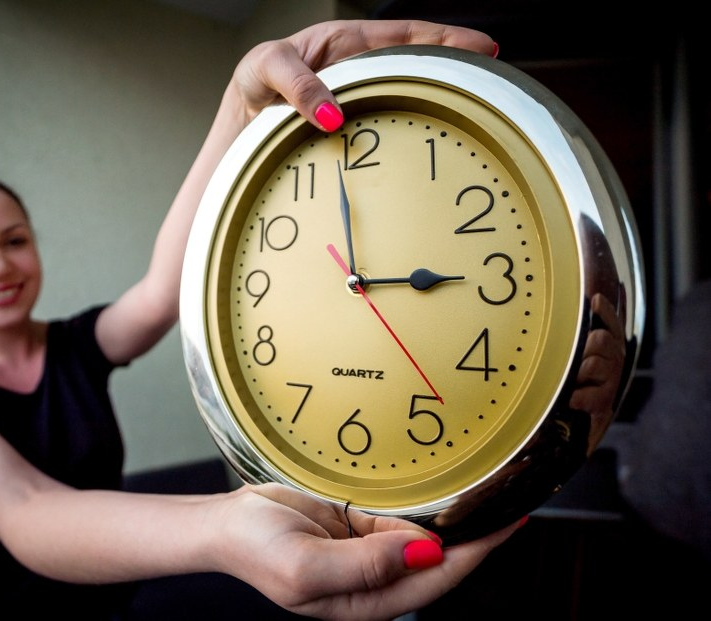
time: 2:58
